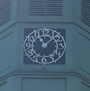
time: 11:07
